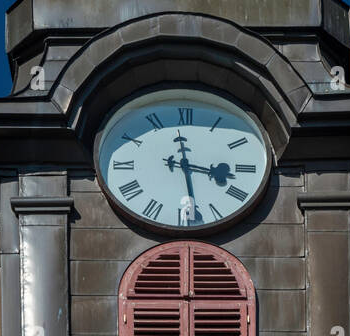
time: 3:28
